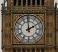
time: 1:59
